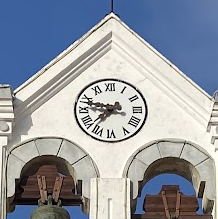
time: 7:47
